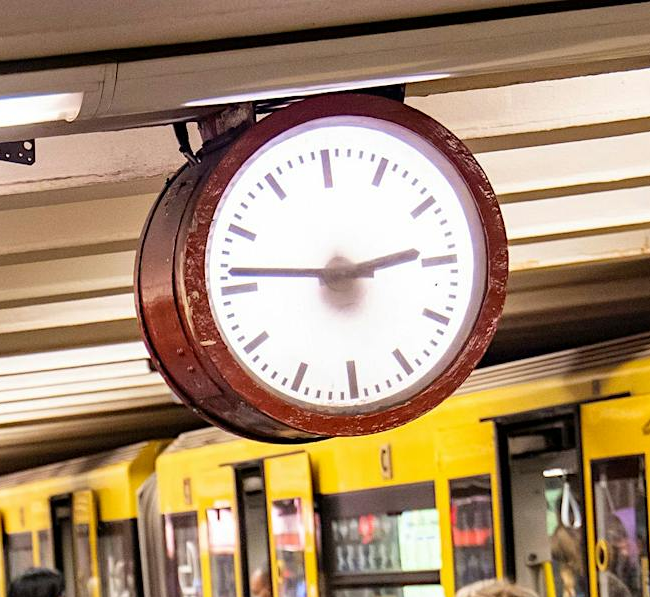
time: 2:46
